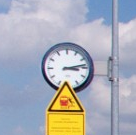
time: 3:13
